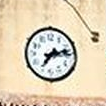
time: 7:12
